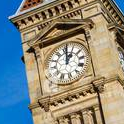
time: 1:01
